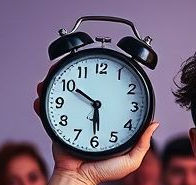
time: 5:50
